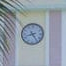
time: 8:24
